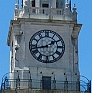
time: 1:42
